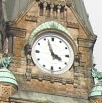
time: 3:56
